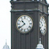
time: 10:39
